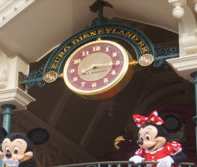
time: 8:16
